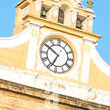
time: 6:50
